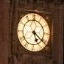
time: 5:21
